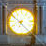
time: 6:50
